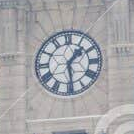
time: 1:28
